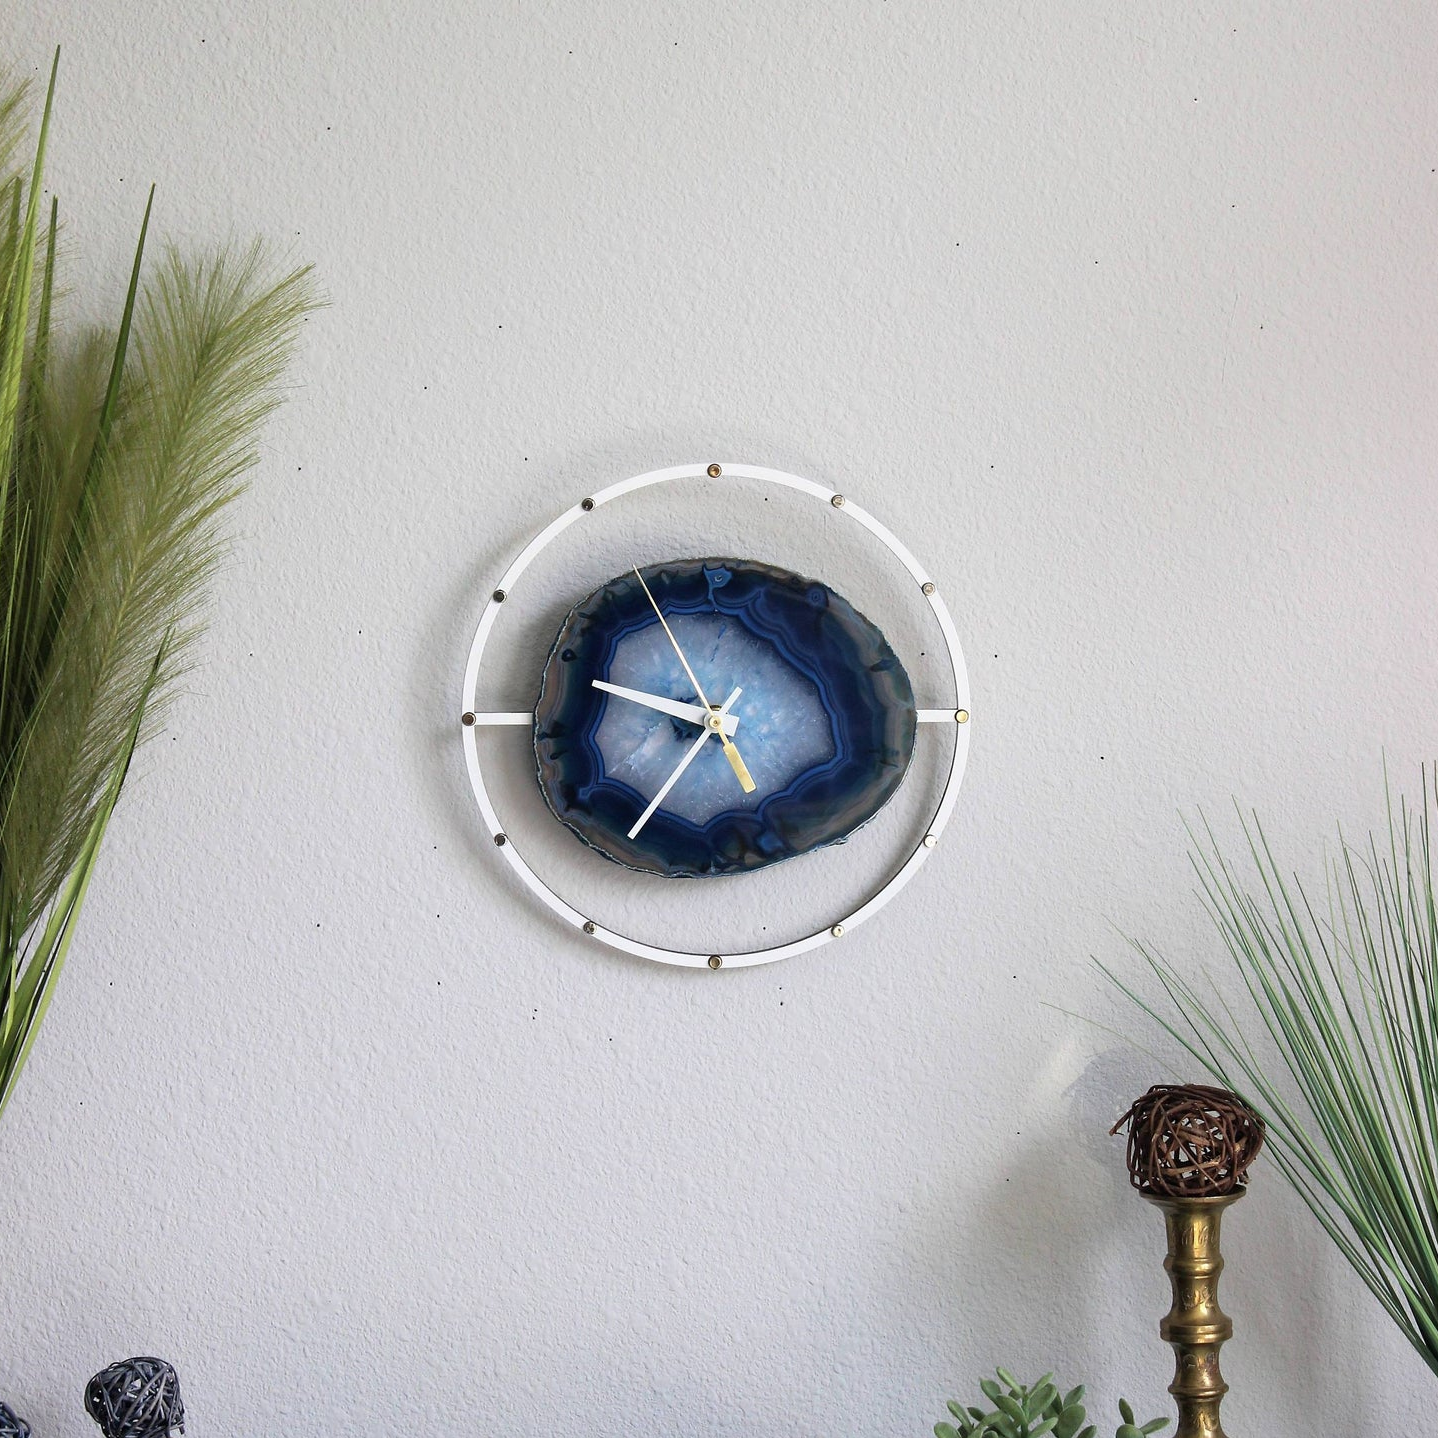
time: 9:35
